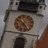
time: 4:52
